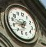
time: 6:41
